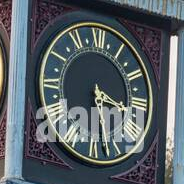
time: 3:29
